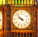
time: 9:52
